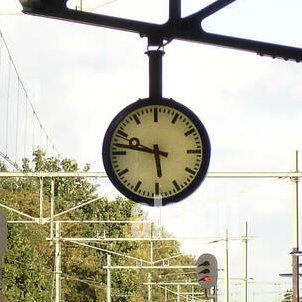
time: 5:47
